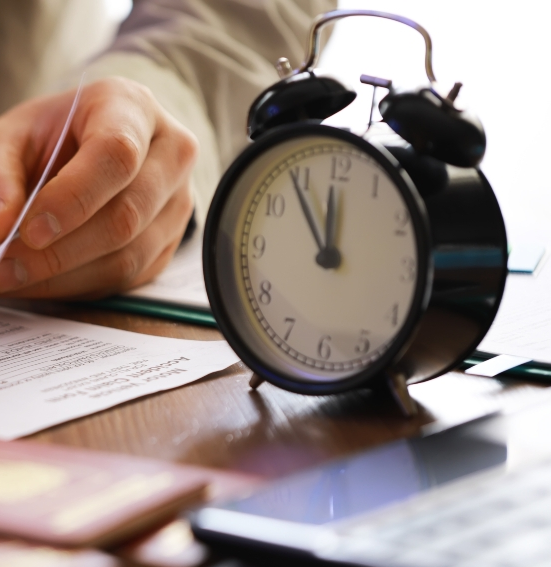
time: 11:54
